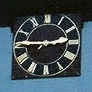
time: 2:45
